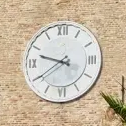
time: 9:39
